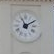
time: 11:09
